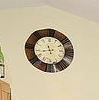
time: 11:43
